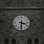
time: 3:30
